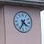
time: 4:34
